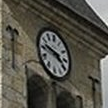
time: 3:47
